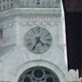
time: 4:34
